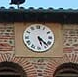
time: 5:22
